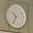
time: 10:34
